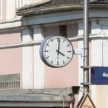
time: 4:01
